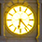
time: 6:23
